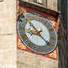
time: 8:21
